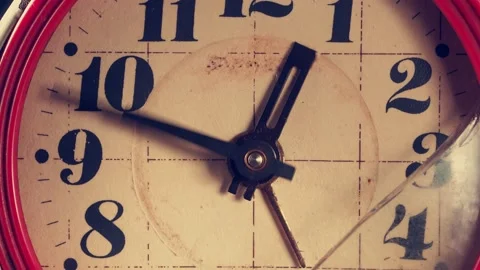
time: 12:48
